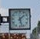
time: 1:27
